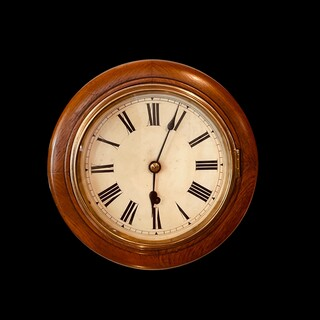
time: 6:03
